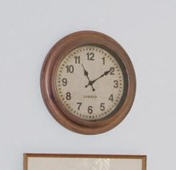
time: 11:09
